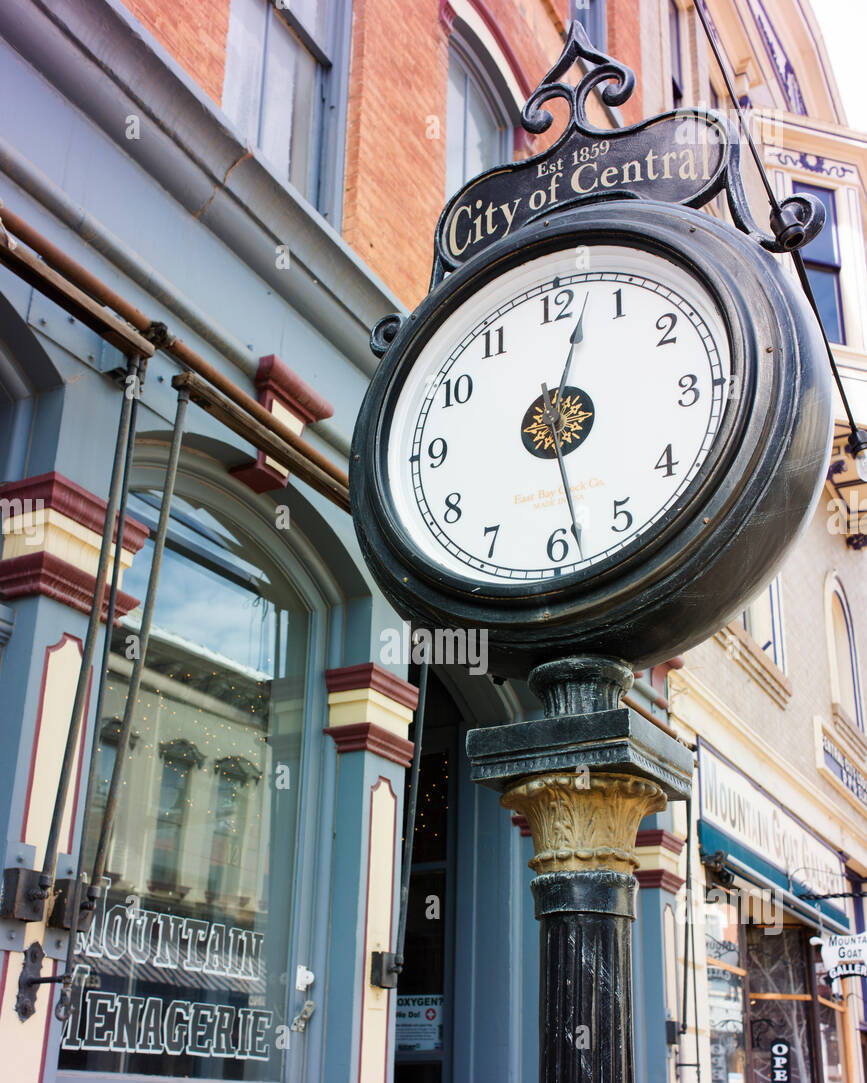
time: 12:28
